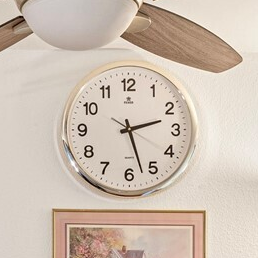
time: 2:27
